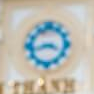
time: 3:43
